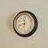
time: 11:42
